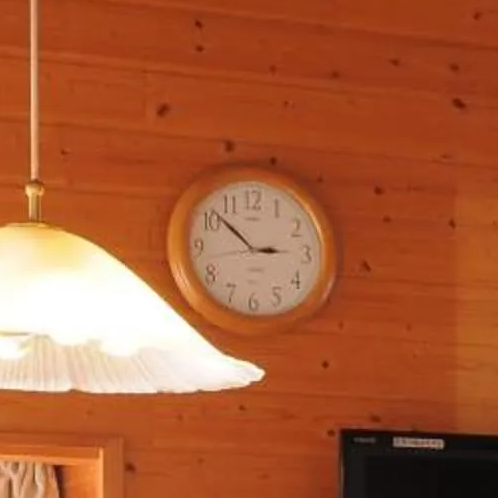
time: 2:51
